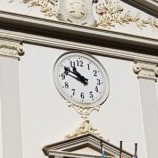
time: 10:49
